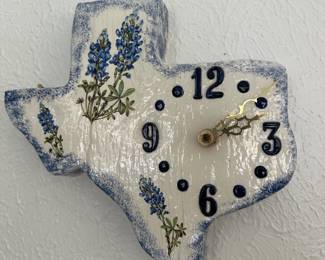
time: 2:12
